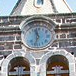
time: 11:32
